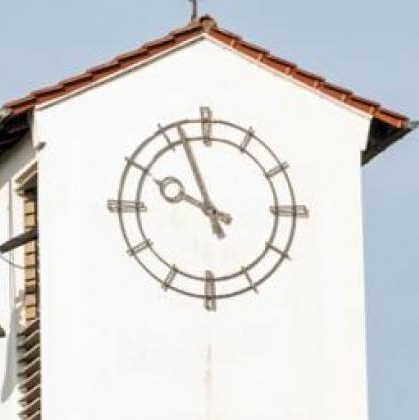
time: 9:56
